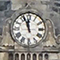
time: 11:56
